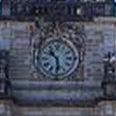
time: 10:28
